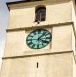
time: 4:07
